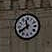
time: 11:39
